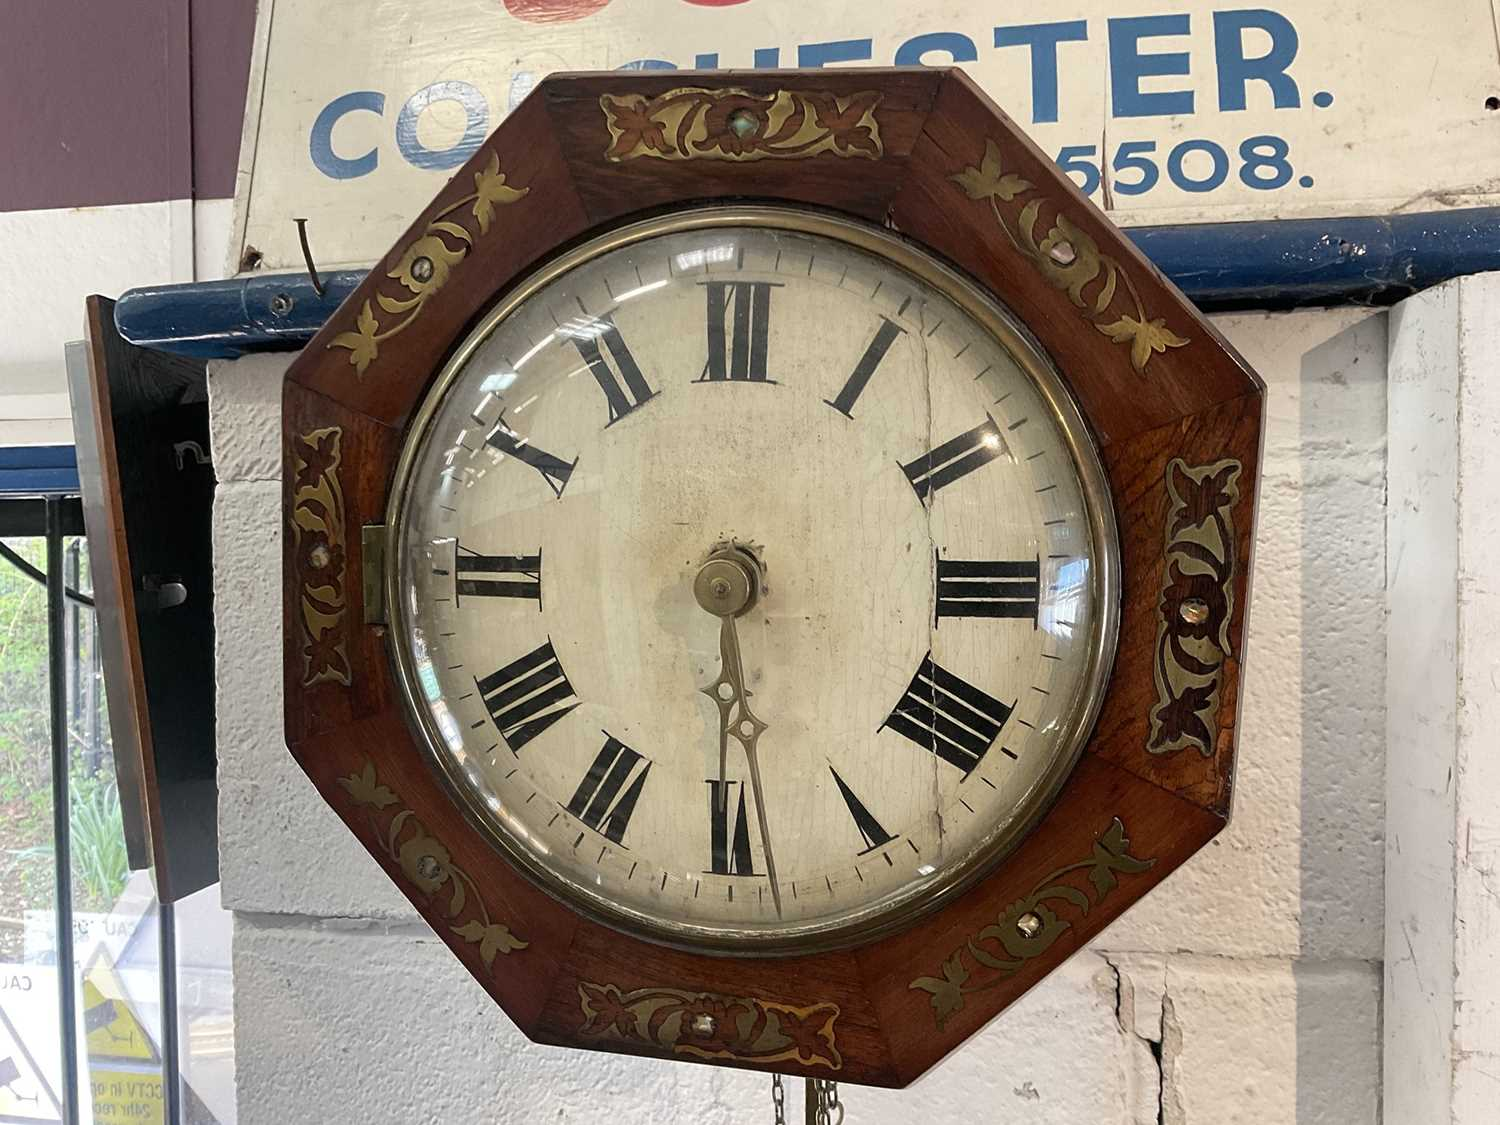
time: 5:30
